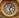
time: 1:26
